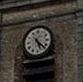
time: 5:22
